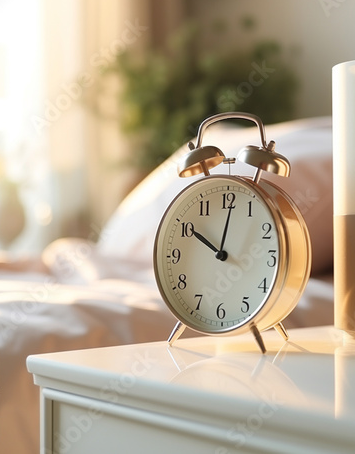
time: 10:01
